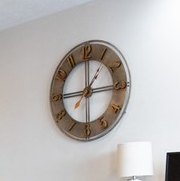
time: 1:14
